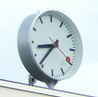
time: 8:36
